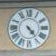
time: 4:23
